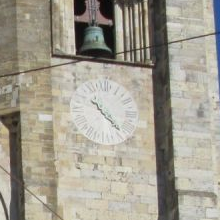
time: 4:21
